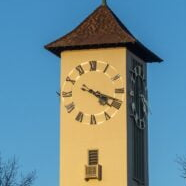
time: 4:18
